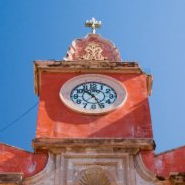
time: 10:26
